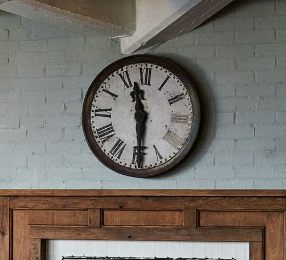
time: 11:29
